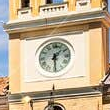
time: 1:29
